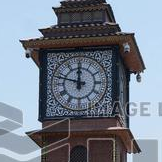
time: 11:48
